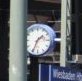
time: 1:34
